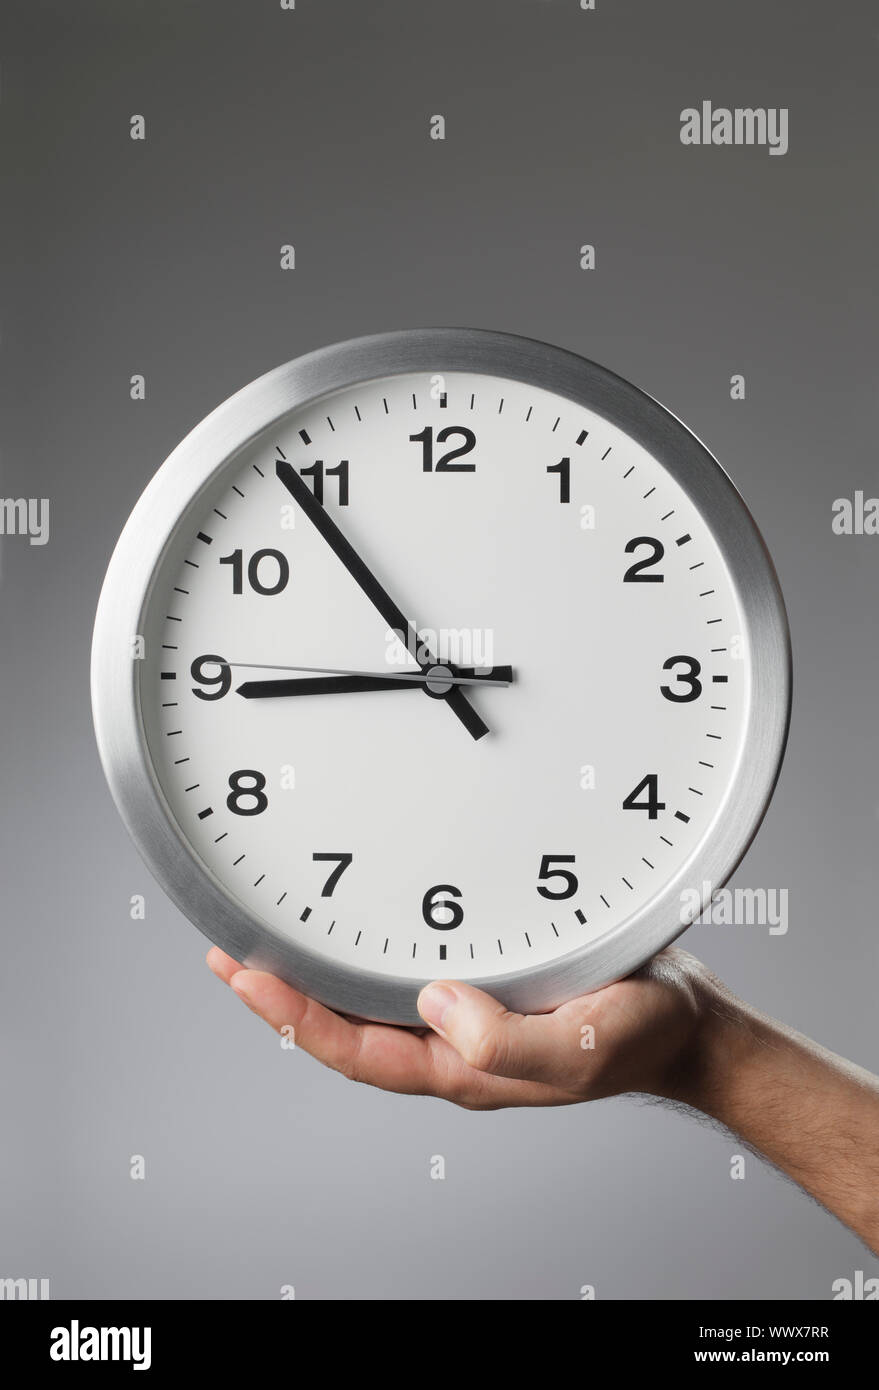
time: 8:53
